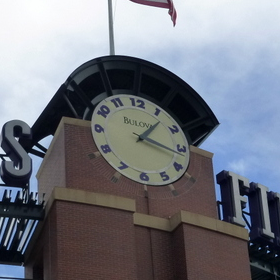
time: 1:17
